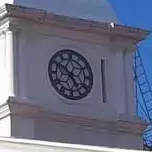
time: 4:50
